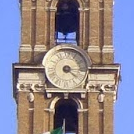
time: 4:14
